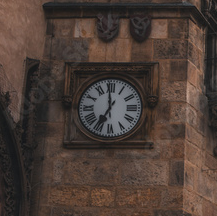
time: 6:59
